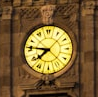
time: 7:46
